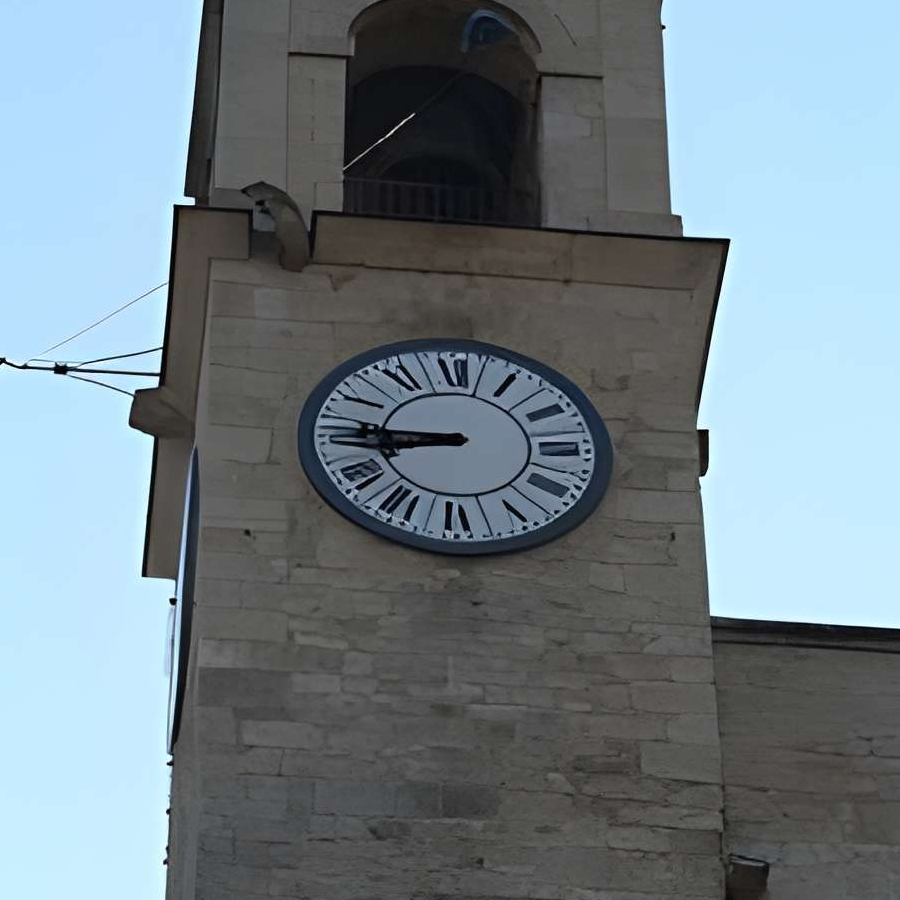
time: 8:45
